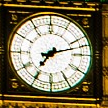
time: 7:12
